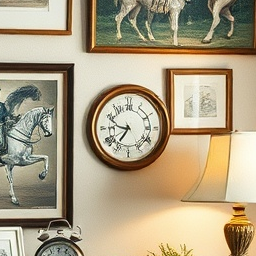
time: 9:35
